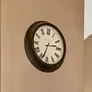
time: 2:33
